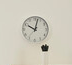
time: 10:02
